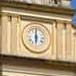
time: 6:00
